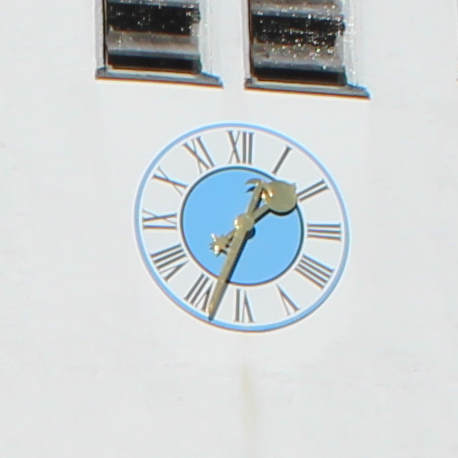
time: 1:33
